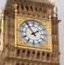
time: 1:54
